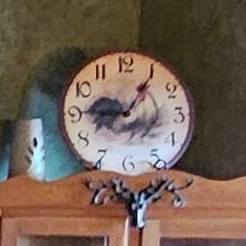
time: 9:05
